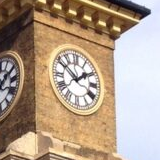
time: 1:50
